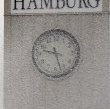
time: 9:27
